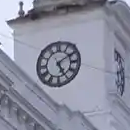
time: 5:09
